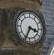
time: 3:34
